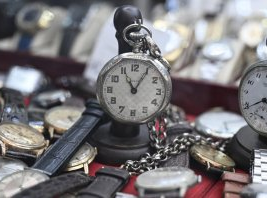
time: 11:05
